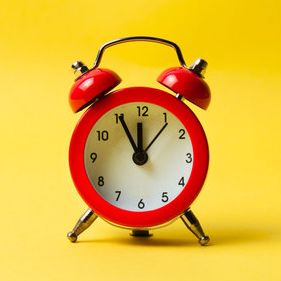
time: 11:55
